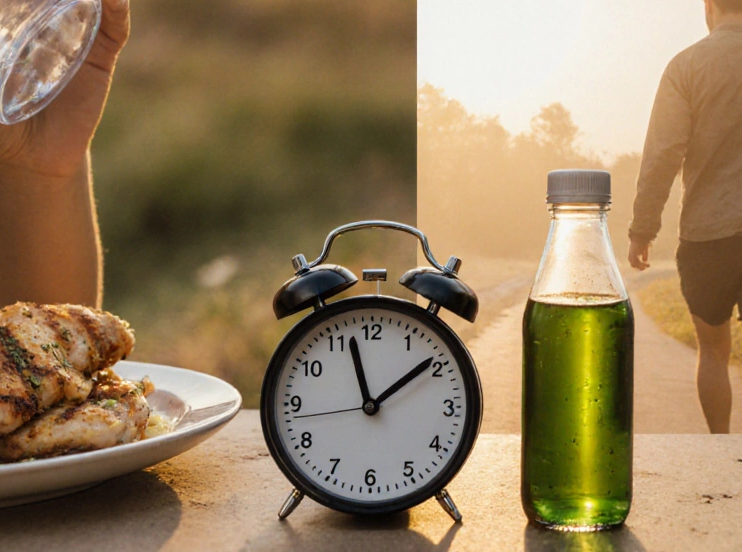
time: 1:57
